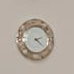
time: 2:21
